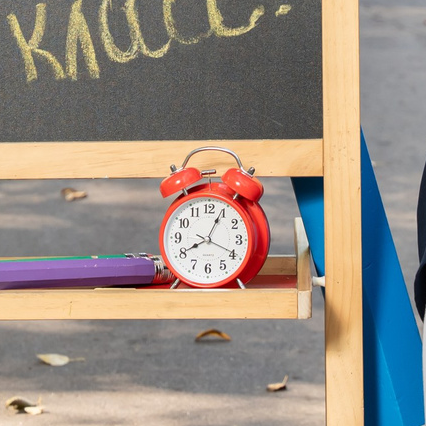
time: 8:04
